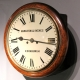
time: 9:16
